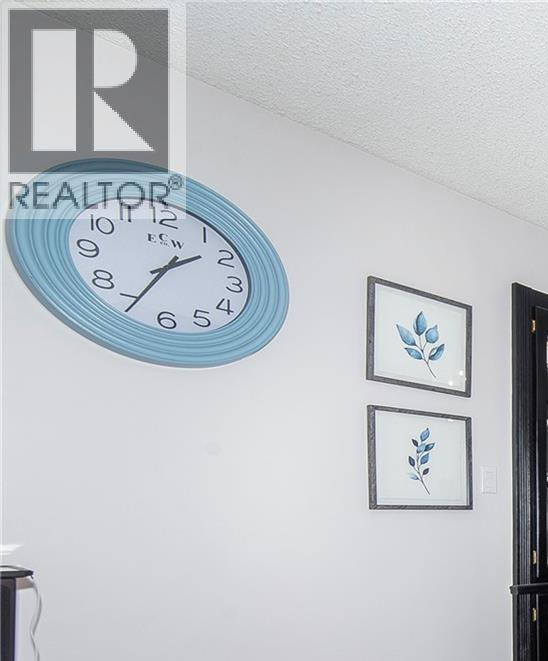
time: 1:34
